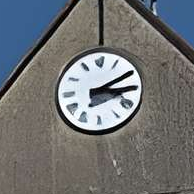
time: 3:10
